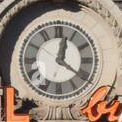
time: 12:20
